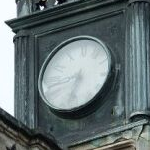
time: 8:32
